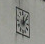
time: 12:07
